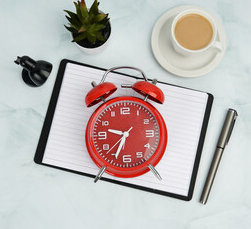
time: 9:34
